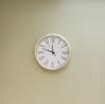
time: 11:48
